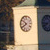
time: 7:51
